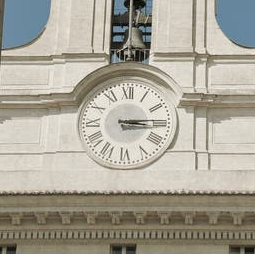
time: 3:14
